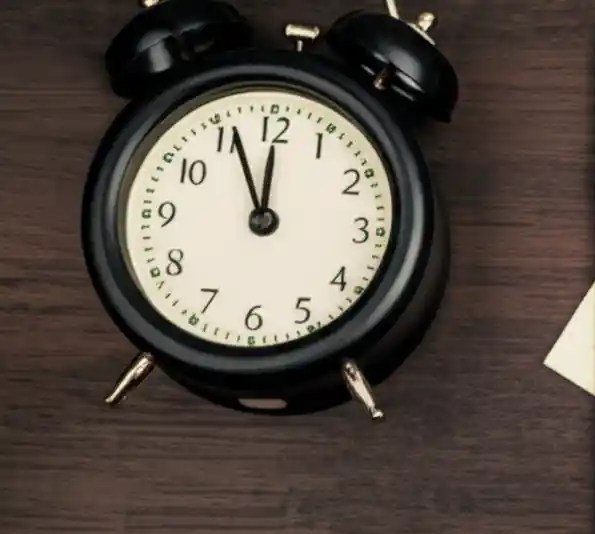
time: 11:56
